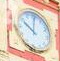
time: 10:00
